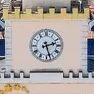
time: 2:27
